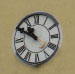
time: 10:50
